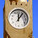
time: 12:06
